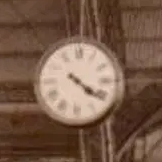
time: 4:20
